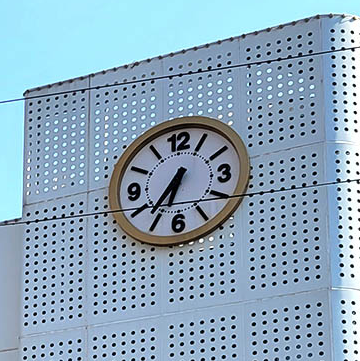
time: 6:36
